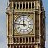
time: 11:46
